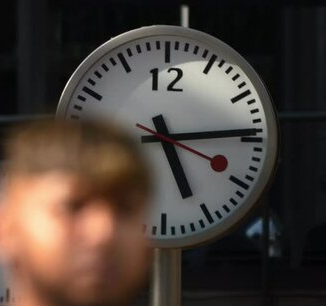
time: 5:14
